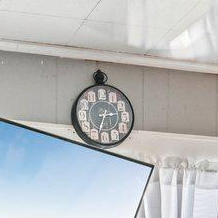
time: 2:32
